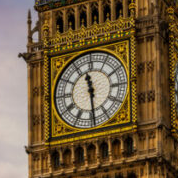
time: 11:29
